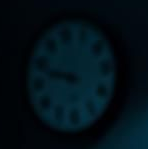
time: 9:48
